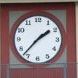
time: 1:37
